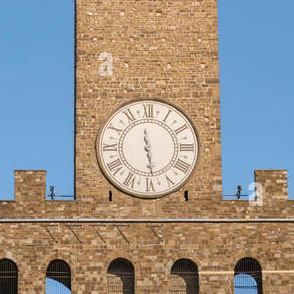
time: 11:28
